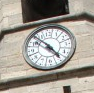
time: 4:52
